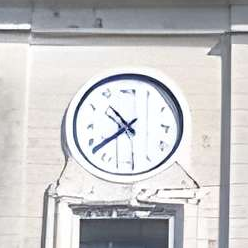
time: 10:38
